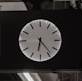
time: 6:23
